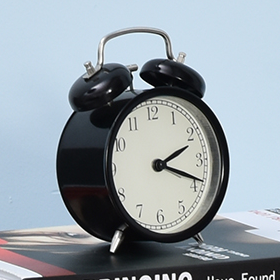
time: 2:18
